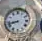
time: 8:42
